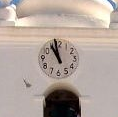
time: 10:58
